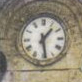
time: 1:28
